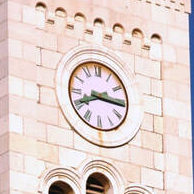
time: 8:15
